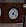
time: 1:21
